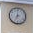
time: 7:00
